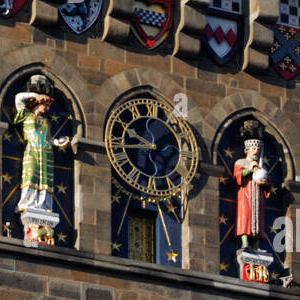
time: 9:43
